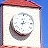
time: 2:32
